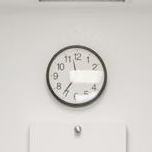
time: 11:35
